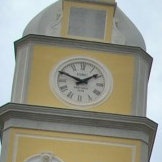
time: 1:49
